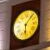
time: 6:06
